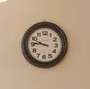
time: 9:45
